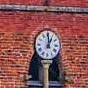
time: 1:00
